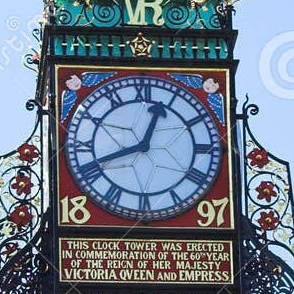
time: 12:41
